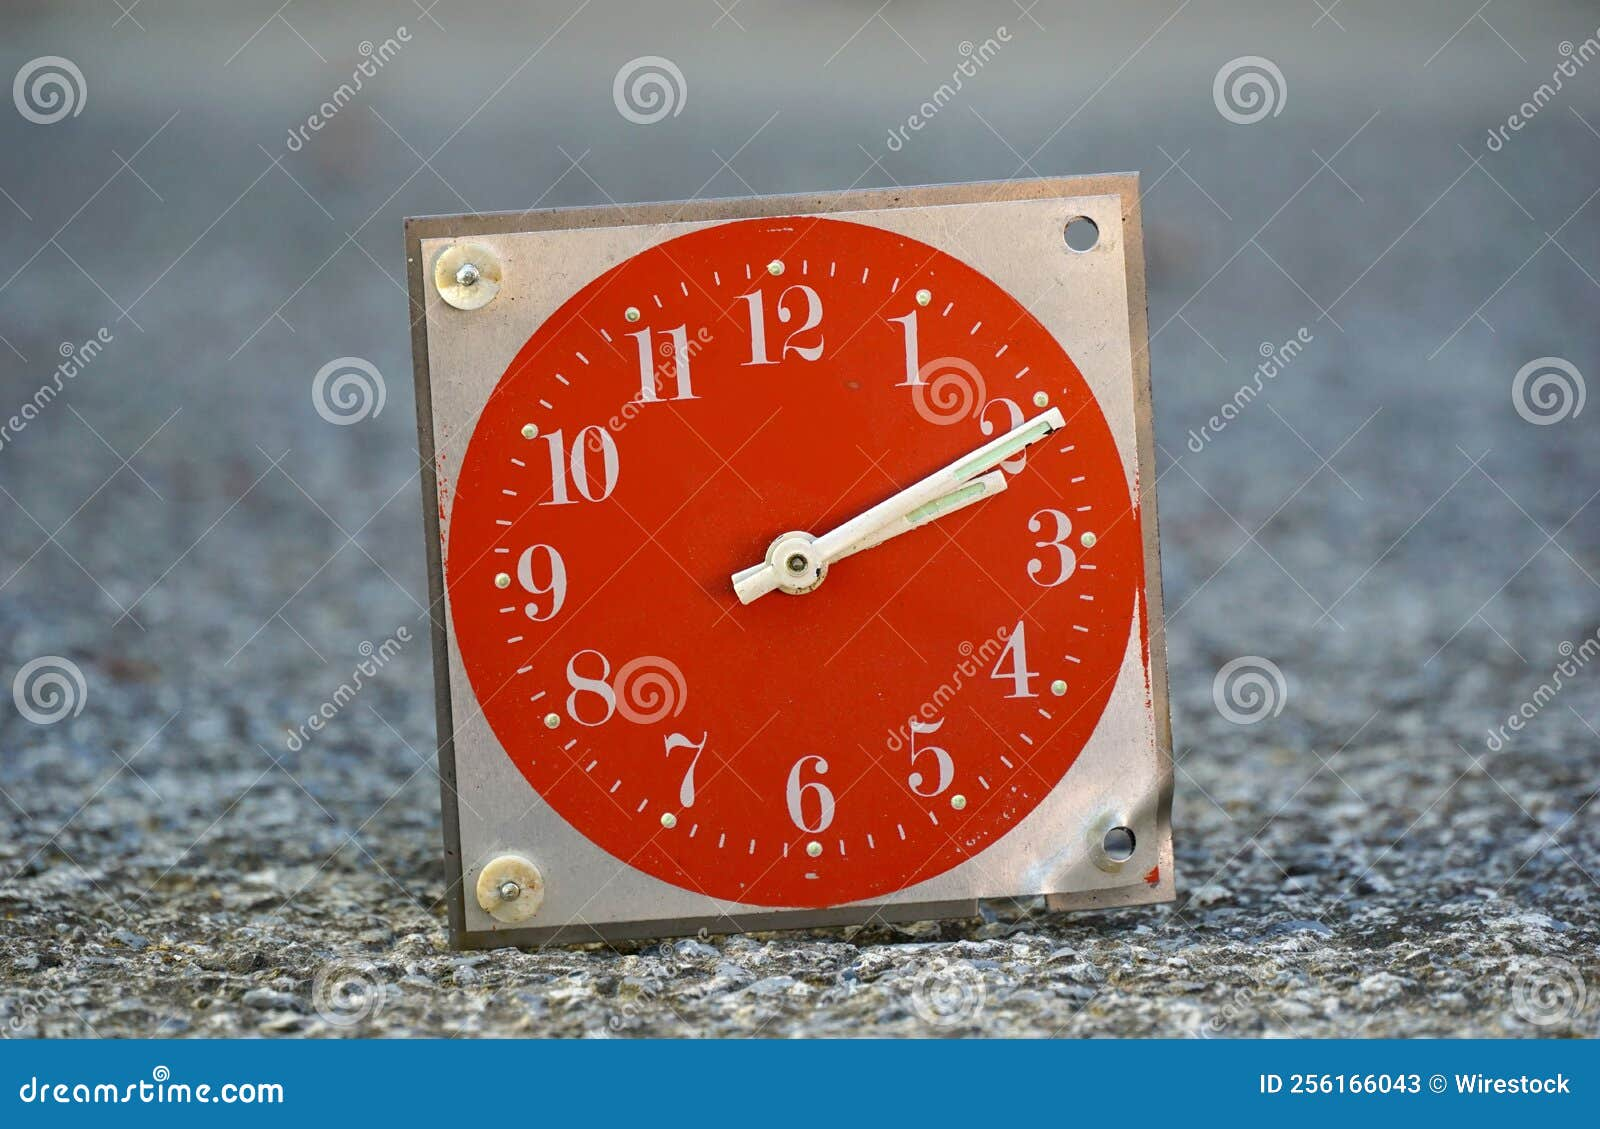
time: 2:10
